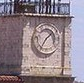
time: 1:35
